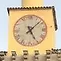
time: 5:08
